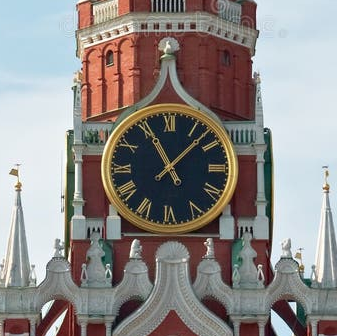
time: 11:07
